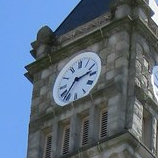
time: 2:36
